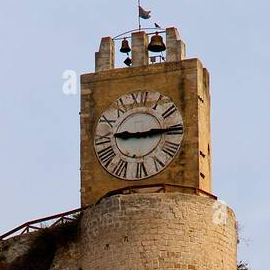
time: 9:14
